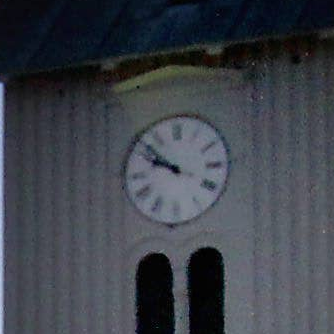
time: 9:51
